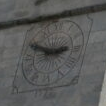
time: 2:49
